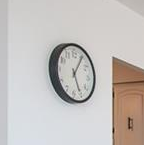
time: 5:05
